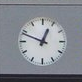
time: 12:48
